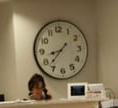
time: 8:37
